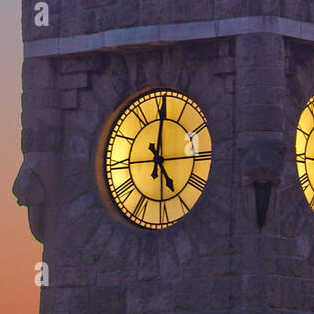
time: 5:00
